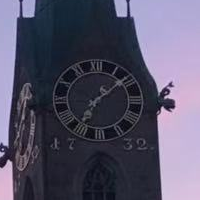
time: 7:08
